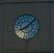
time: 8:07
